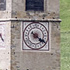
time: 4:20
